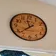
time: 11:38
